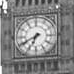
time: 6:40
